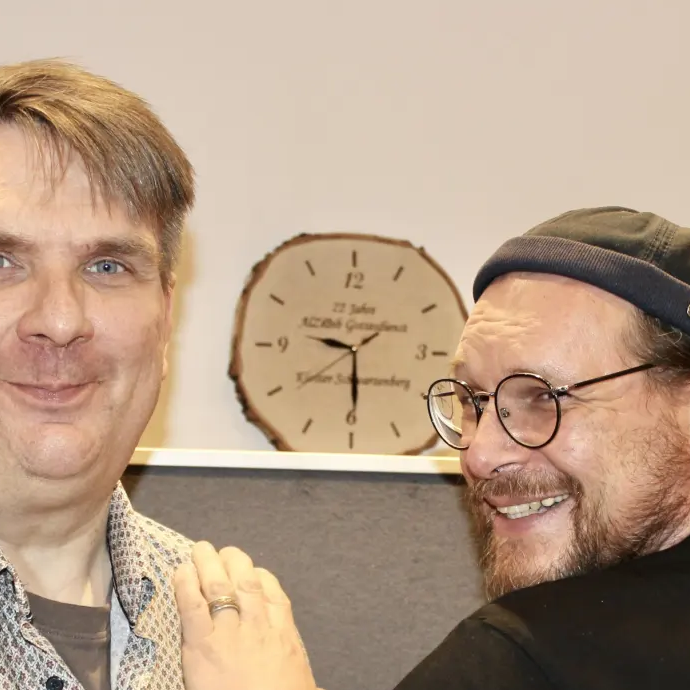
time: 9:29
